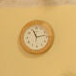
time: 11:13
